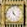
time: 11:22
